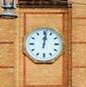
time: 12:01
